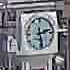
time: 2:28
